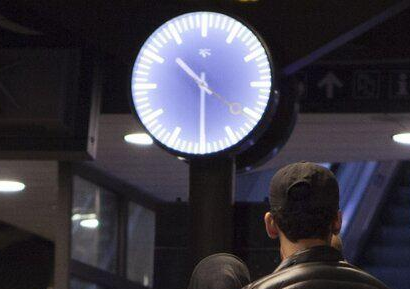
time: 10:30
